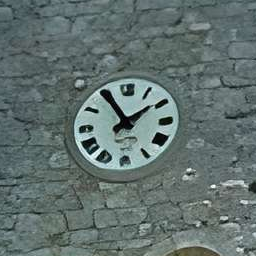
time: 1:54
